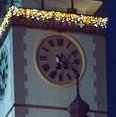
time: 4:34
